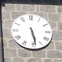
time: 5:28
